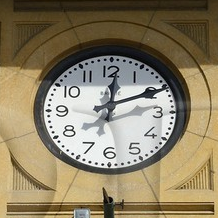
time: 12:10
